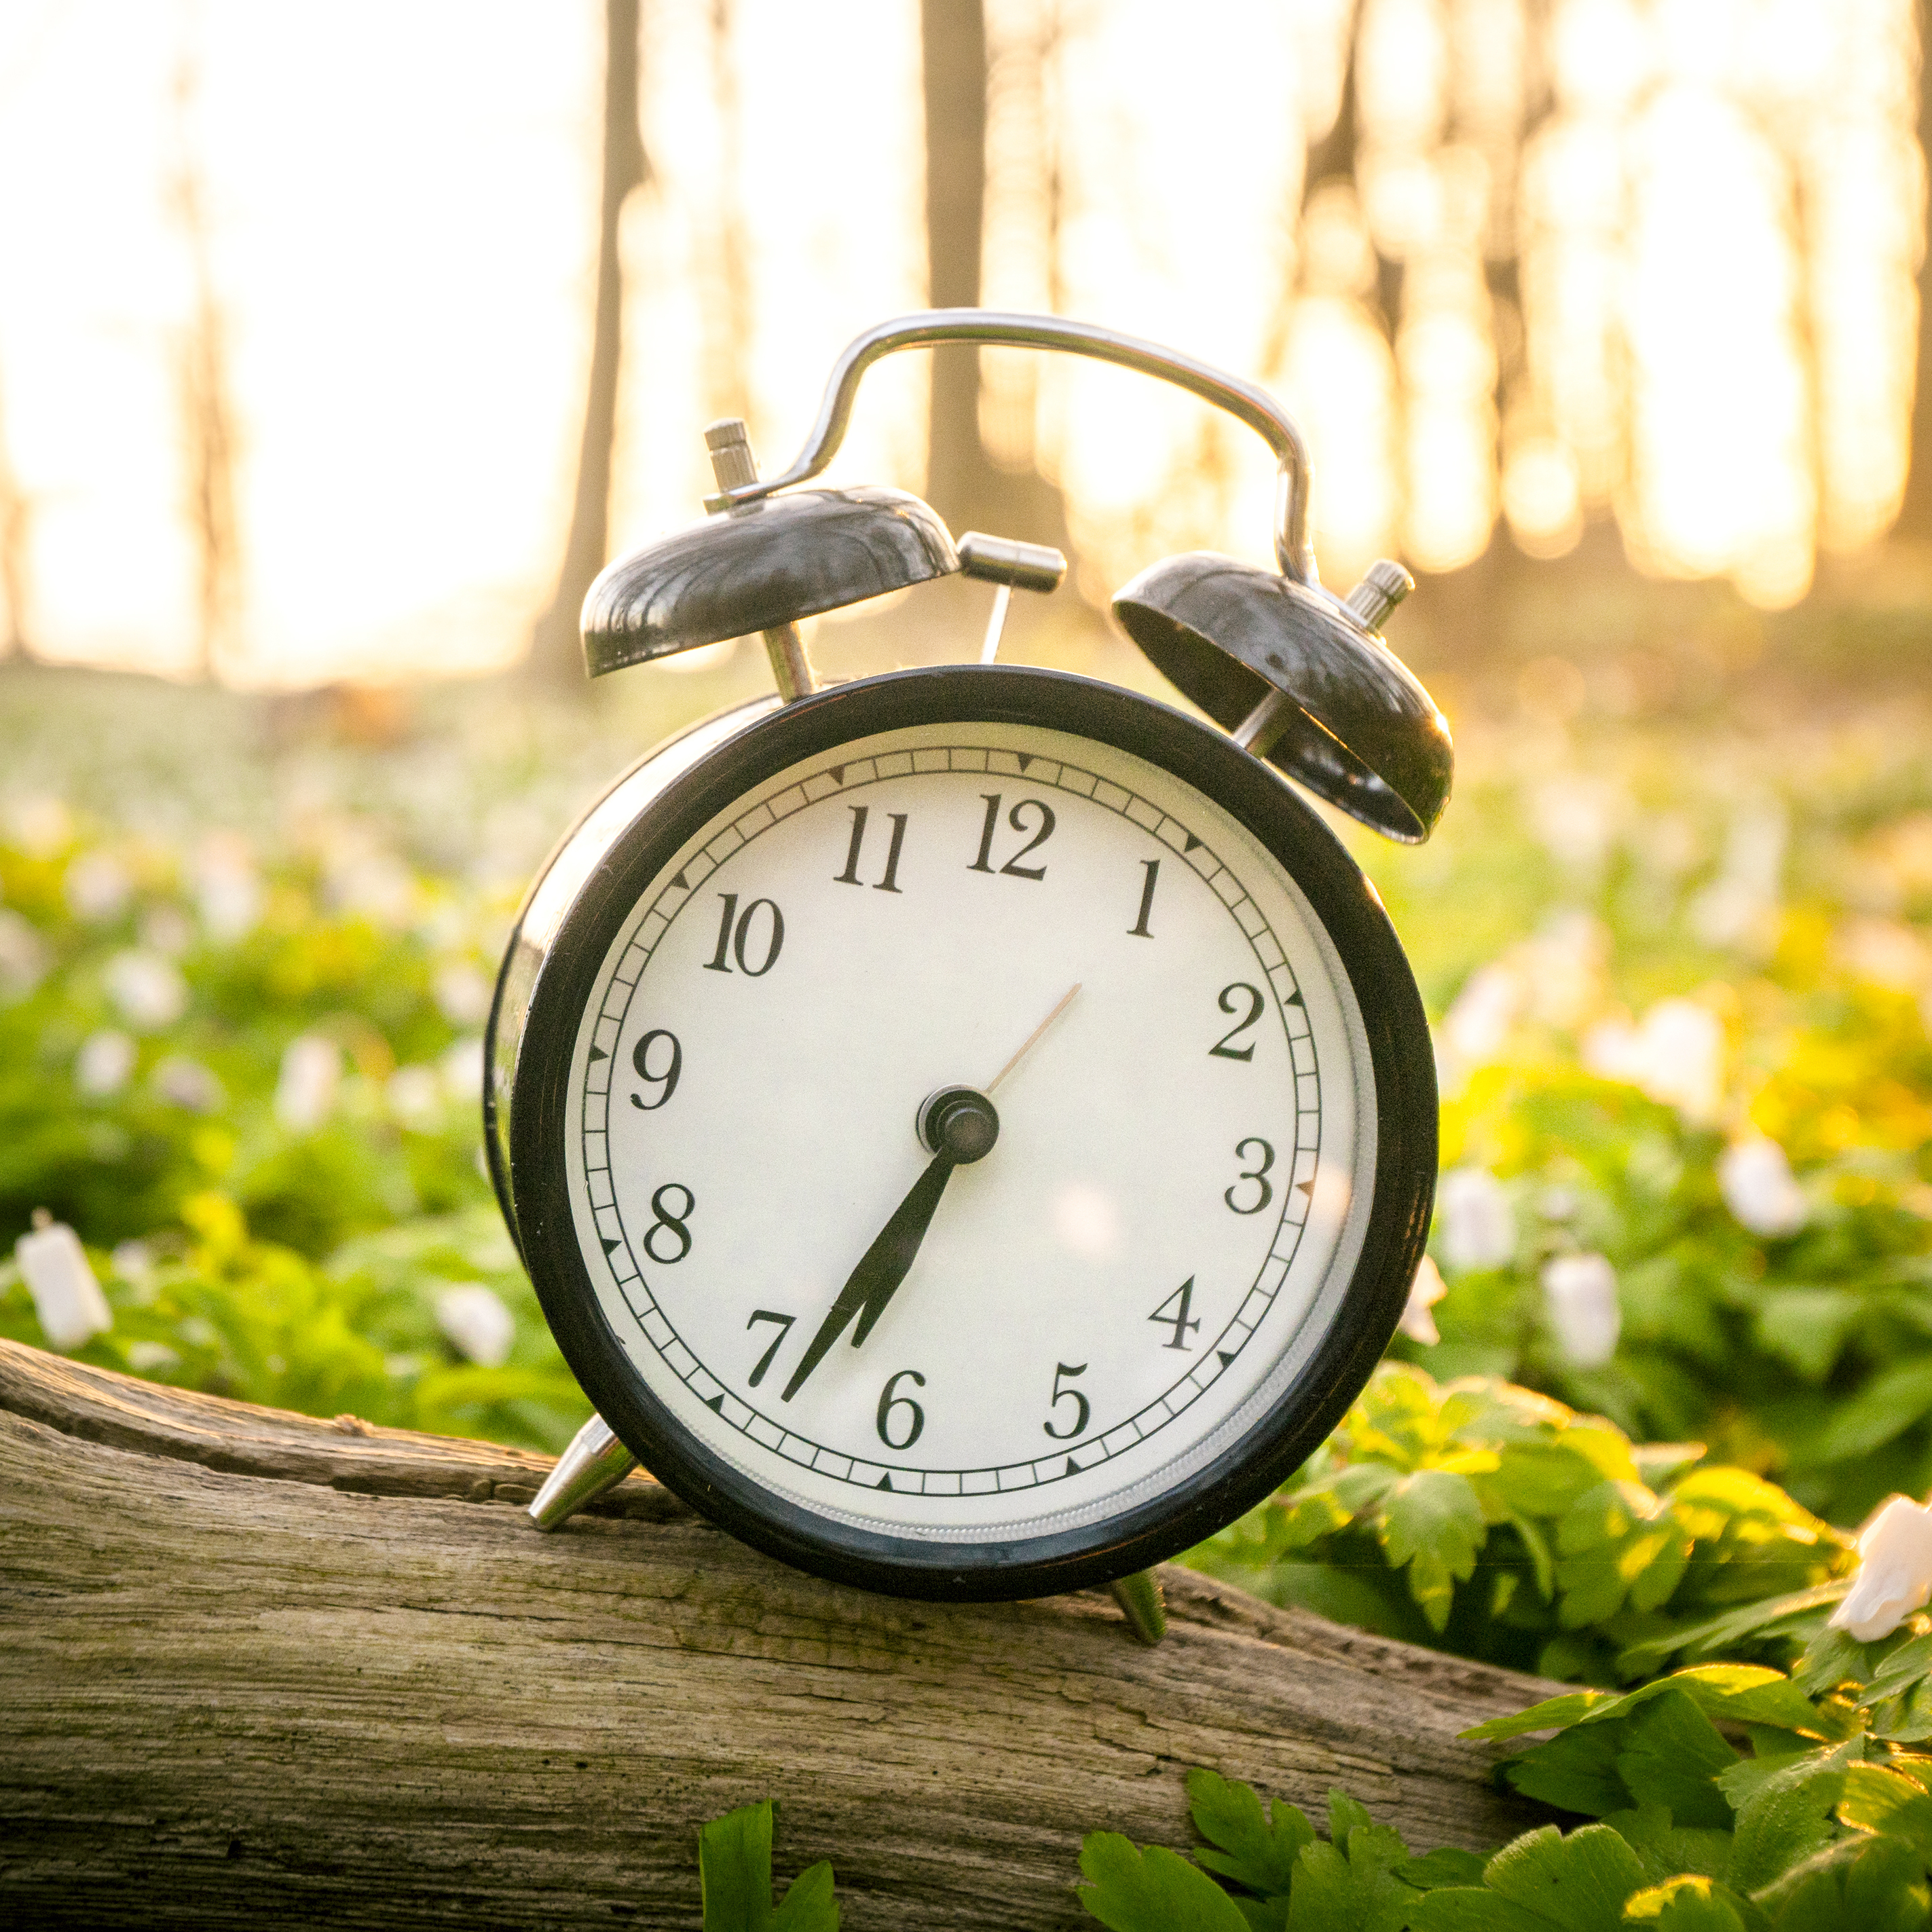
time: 6:33
